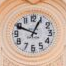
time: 12:49
